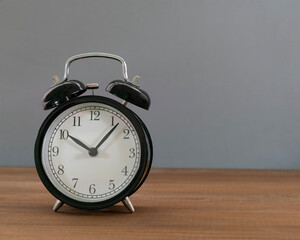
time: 10:07
